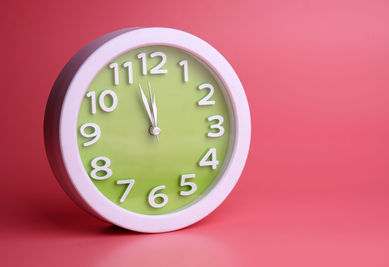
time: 11:57
